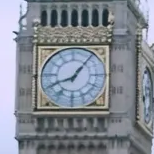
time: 8:06
